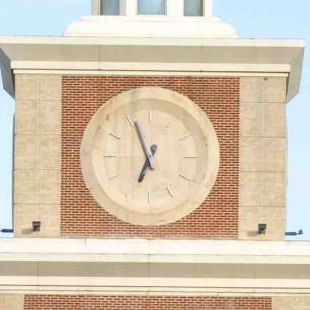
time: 6:56
